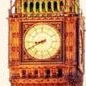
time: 8:40
